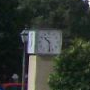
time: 10:28
